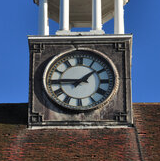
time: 1:45
